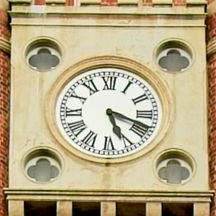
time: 5:18
